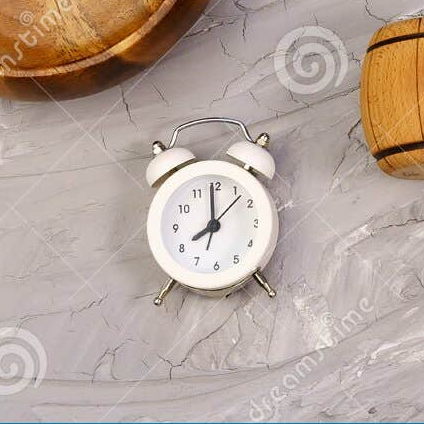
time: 7:59
